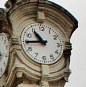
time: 10:44
